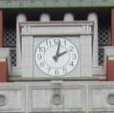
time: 2:01
